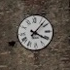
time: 4:07
